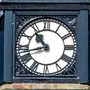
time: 10:42
